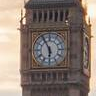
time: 5:55
